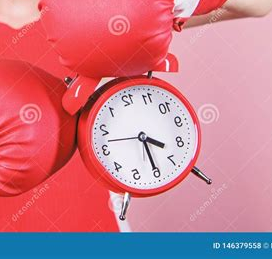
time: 4:30
